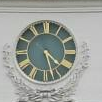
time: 4:27
